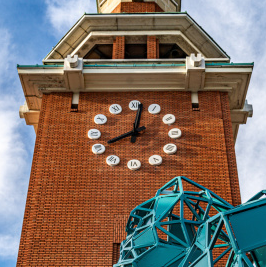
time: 8:01
